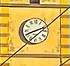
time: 8:11
